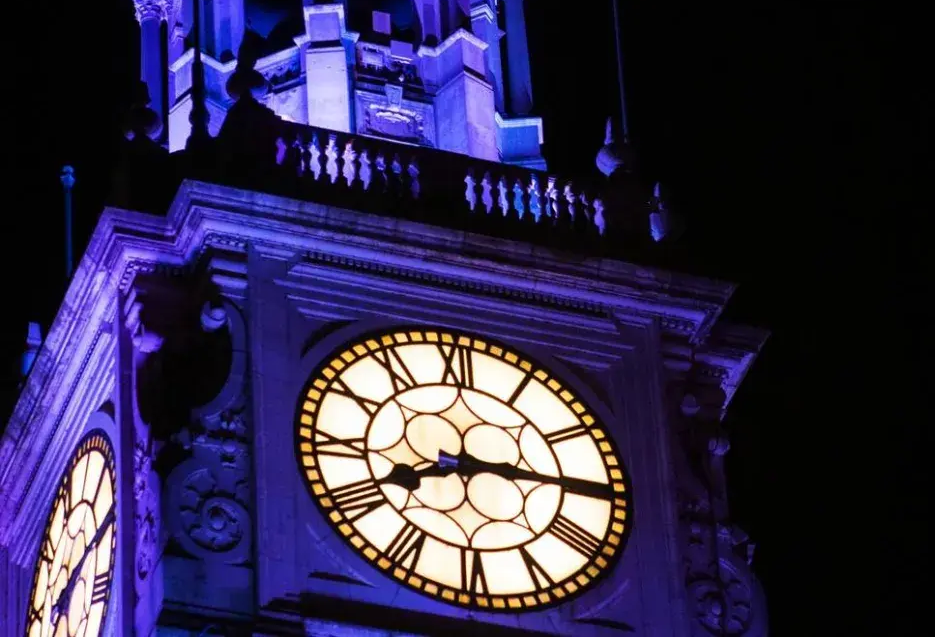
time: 8:14
